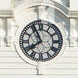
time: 7:55
